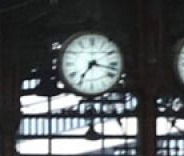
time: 7:17
